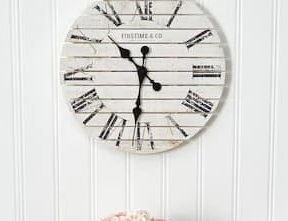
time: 10:31
